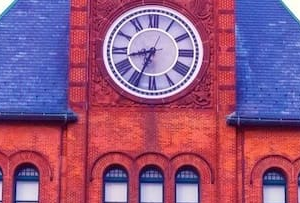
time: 8:34
